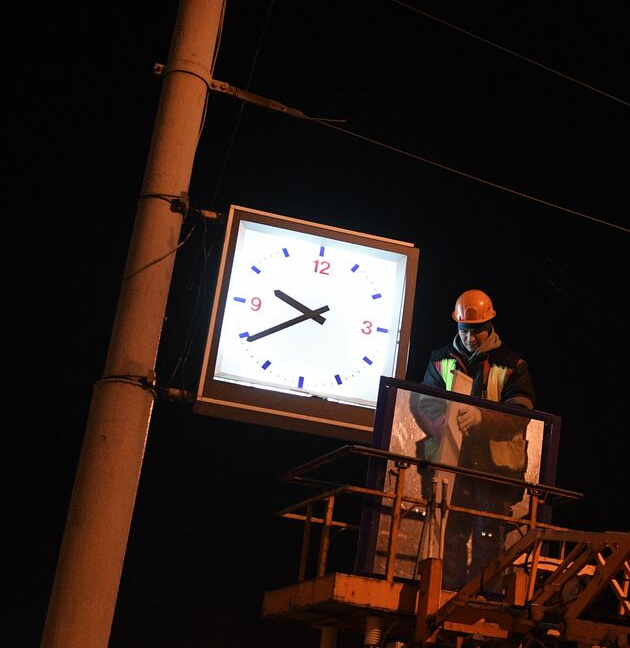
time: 9:39
